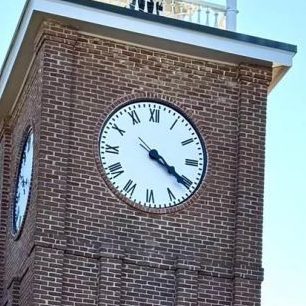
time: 4:20
